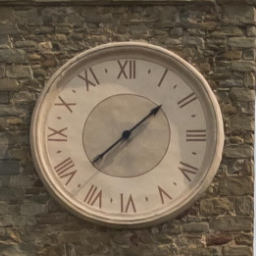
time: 1:38
